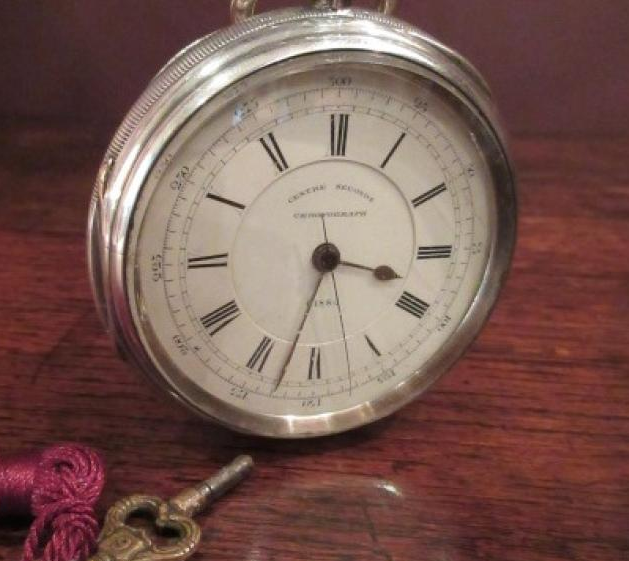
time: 3:32
